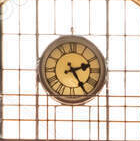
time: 2:24
